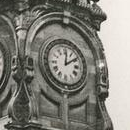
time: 12:09
